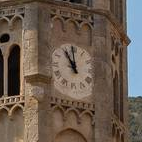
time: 10:59
